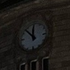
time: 11:52
